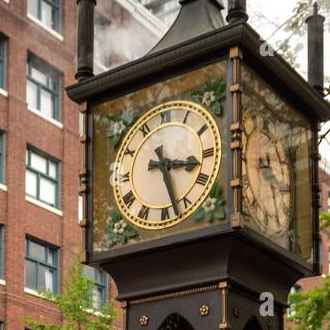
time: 3:27
